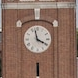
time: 3:57
